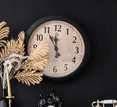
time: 11:55
